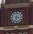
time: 3:32
